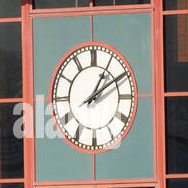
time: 1:09
